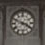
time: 3:48
